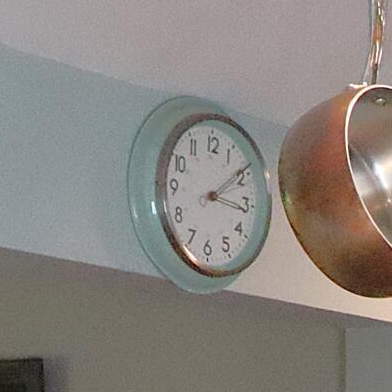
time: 3:08
